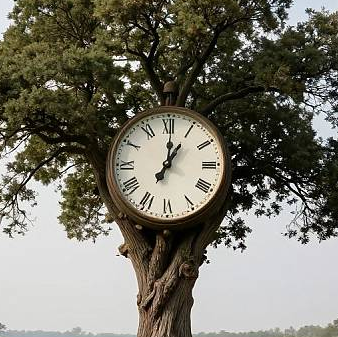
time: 1:01
